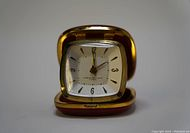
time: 2:00
